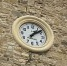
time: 1:08
